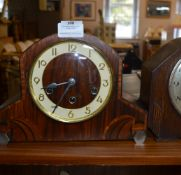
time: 8:34
